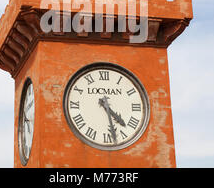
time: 4:27
